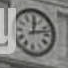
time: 12:12
